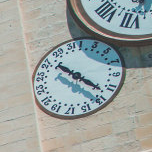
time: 4:21
